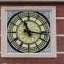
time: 11:16
